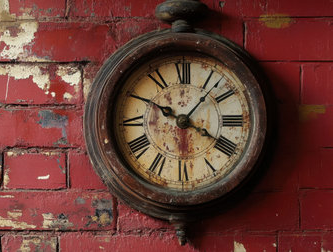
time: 1:19
